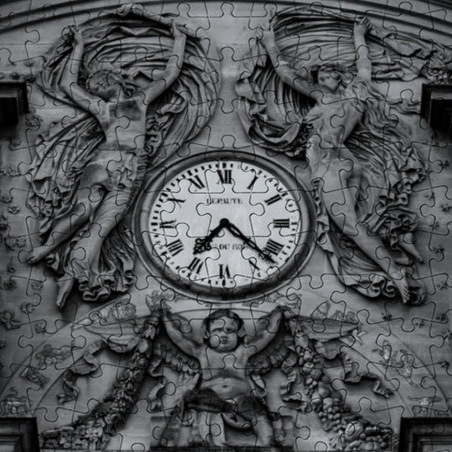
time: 7:22
